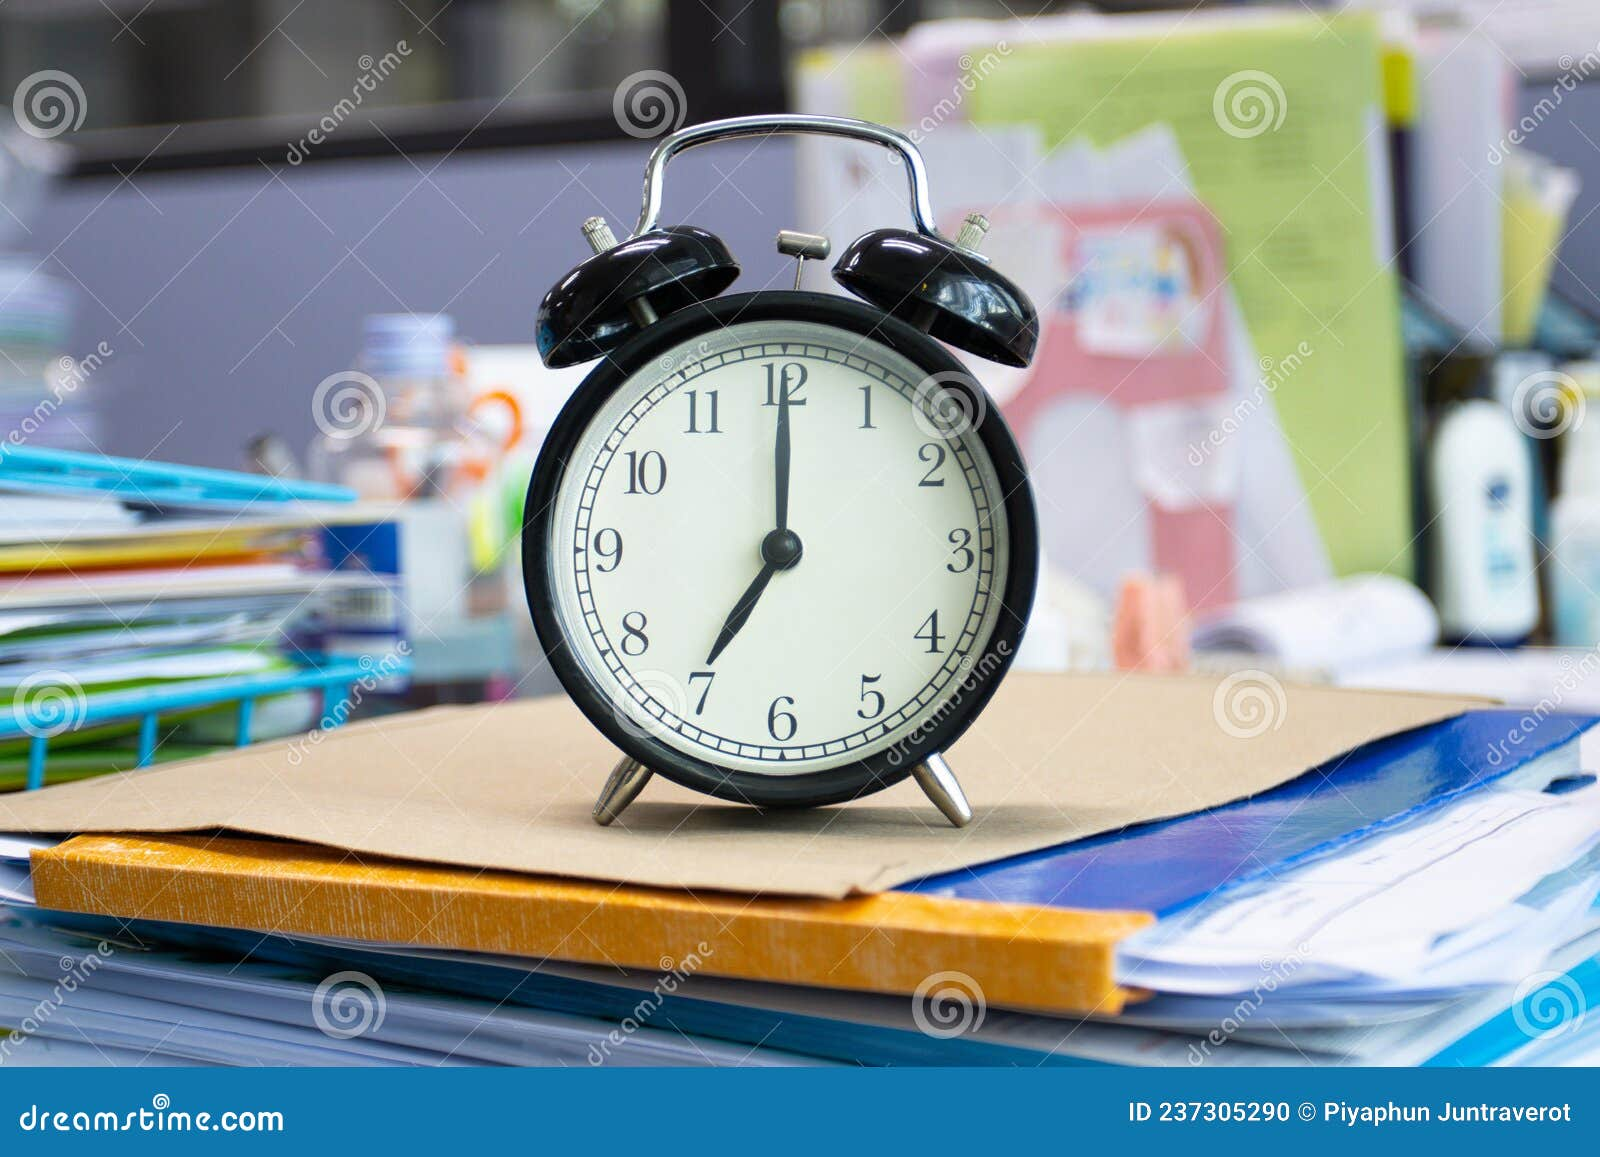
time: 7:00
